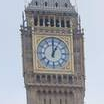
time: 1:00
